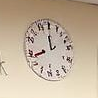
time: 11:43
